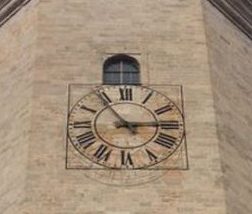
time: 2:53
